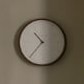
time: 10:37
